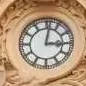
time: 3:01
